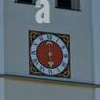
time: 6:00
